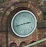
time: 2:42
